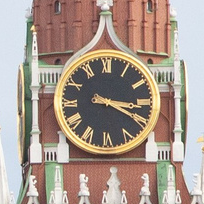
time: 3:19
